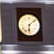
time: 6:08
